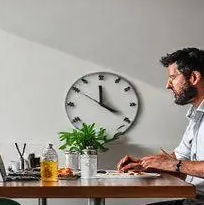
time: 11:50
